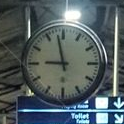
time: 8:57
